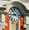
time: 8:53
